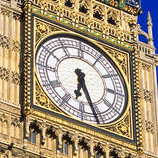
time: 6:26
